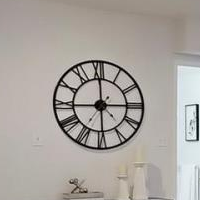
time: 2:59
